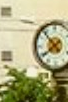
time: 7:52
